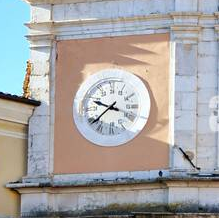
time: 9:38
